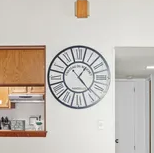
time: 1:23
